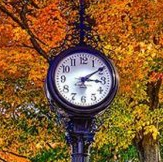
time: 3:09
